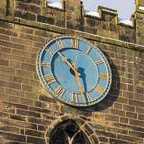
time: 10:27
